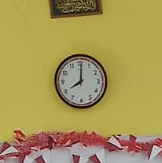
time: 8:00
